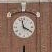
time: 3:58
